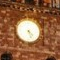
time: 4:26
